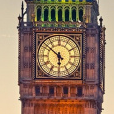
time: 5:51
